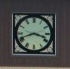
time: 3:41
